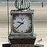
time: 9:38
